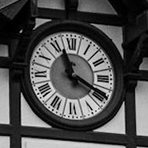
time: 11:19
